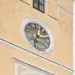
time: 7:15
